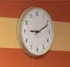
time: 9:11
